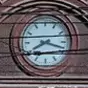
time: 8:18
